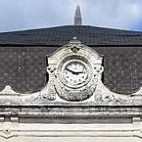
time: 2:48
